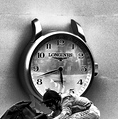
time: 5:41
